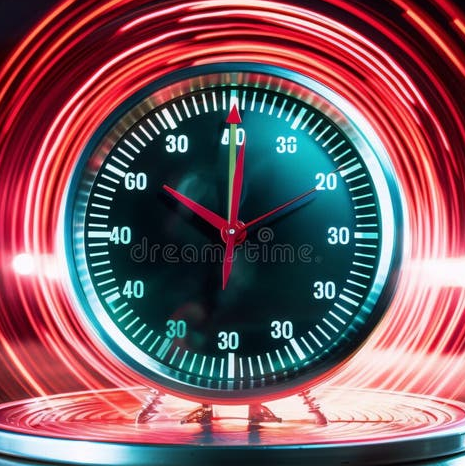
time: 10:00
